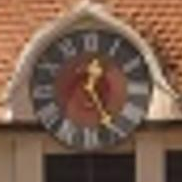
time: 12:24
